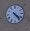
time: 4:22
